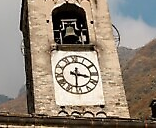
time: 3:30
